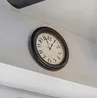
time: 12:56
